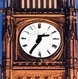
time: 2:35
